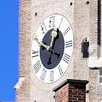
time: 12:49
